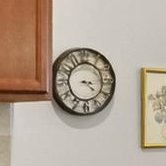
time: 3:22
